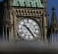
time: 10:24
